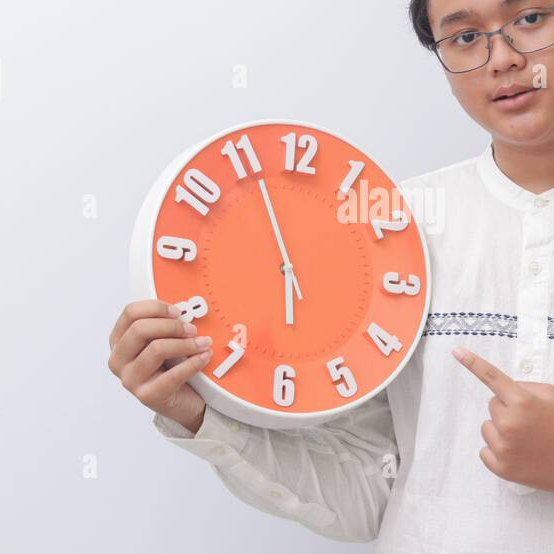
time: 5:56
